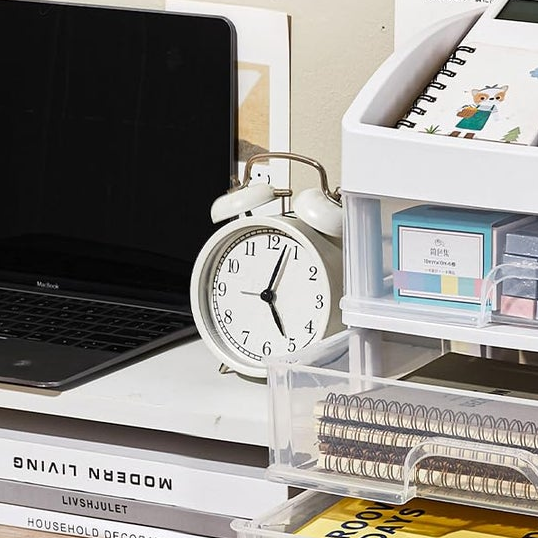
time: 5:03
